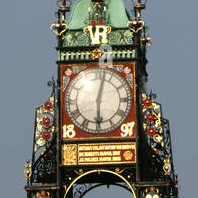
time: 6:02
